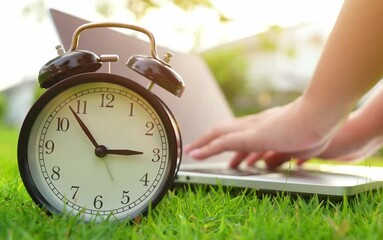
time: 2:53
